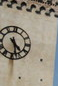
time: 4:28
